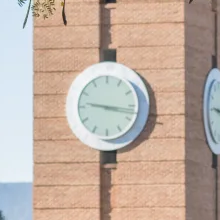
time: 9:17
